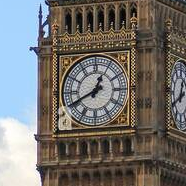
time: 12:40
